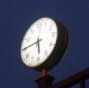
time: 5:45
